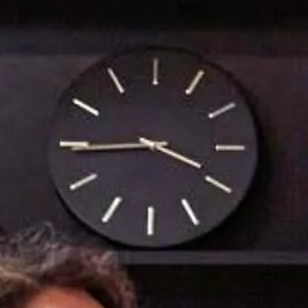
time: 3:44
